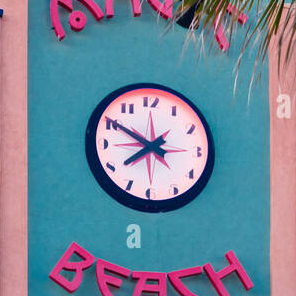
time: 7:50
